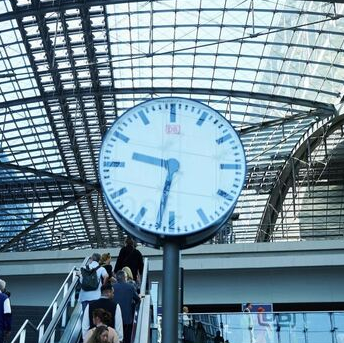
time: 9:32
